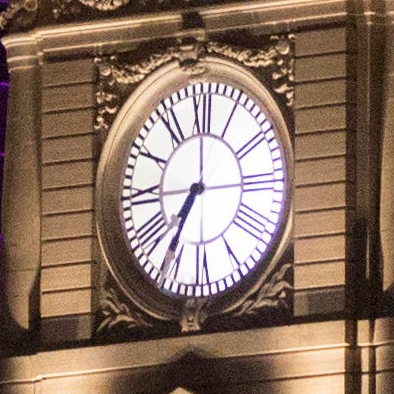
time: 7:00
